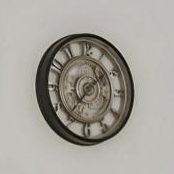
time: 1:36
